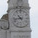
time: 10:43
